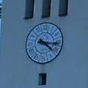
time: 4:16
